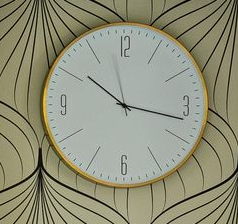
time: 10:17
